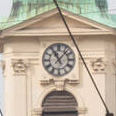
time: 11:07
